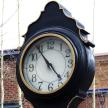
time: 4:54
